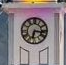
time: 6:16
